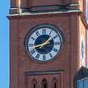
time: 1:43
